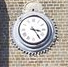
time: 3:24
